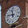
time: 11:46
